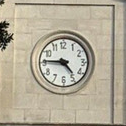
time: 4:45
